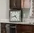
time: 4:42
